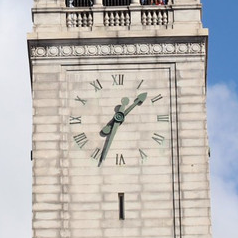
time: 1:33
